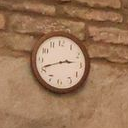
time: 2:41
